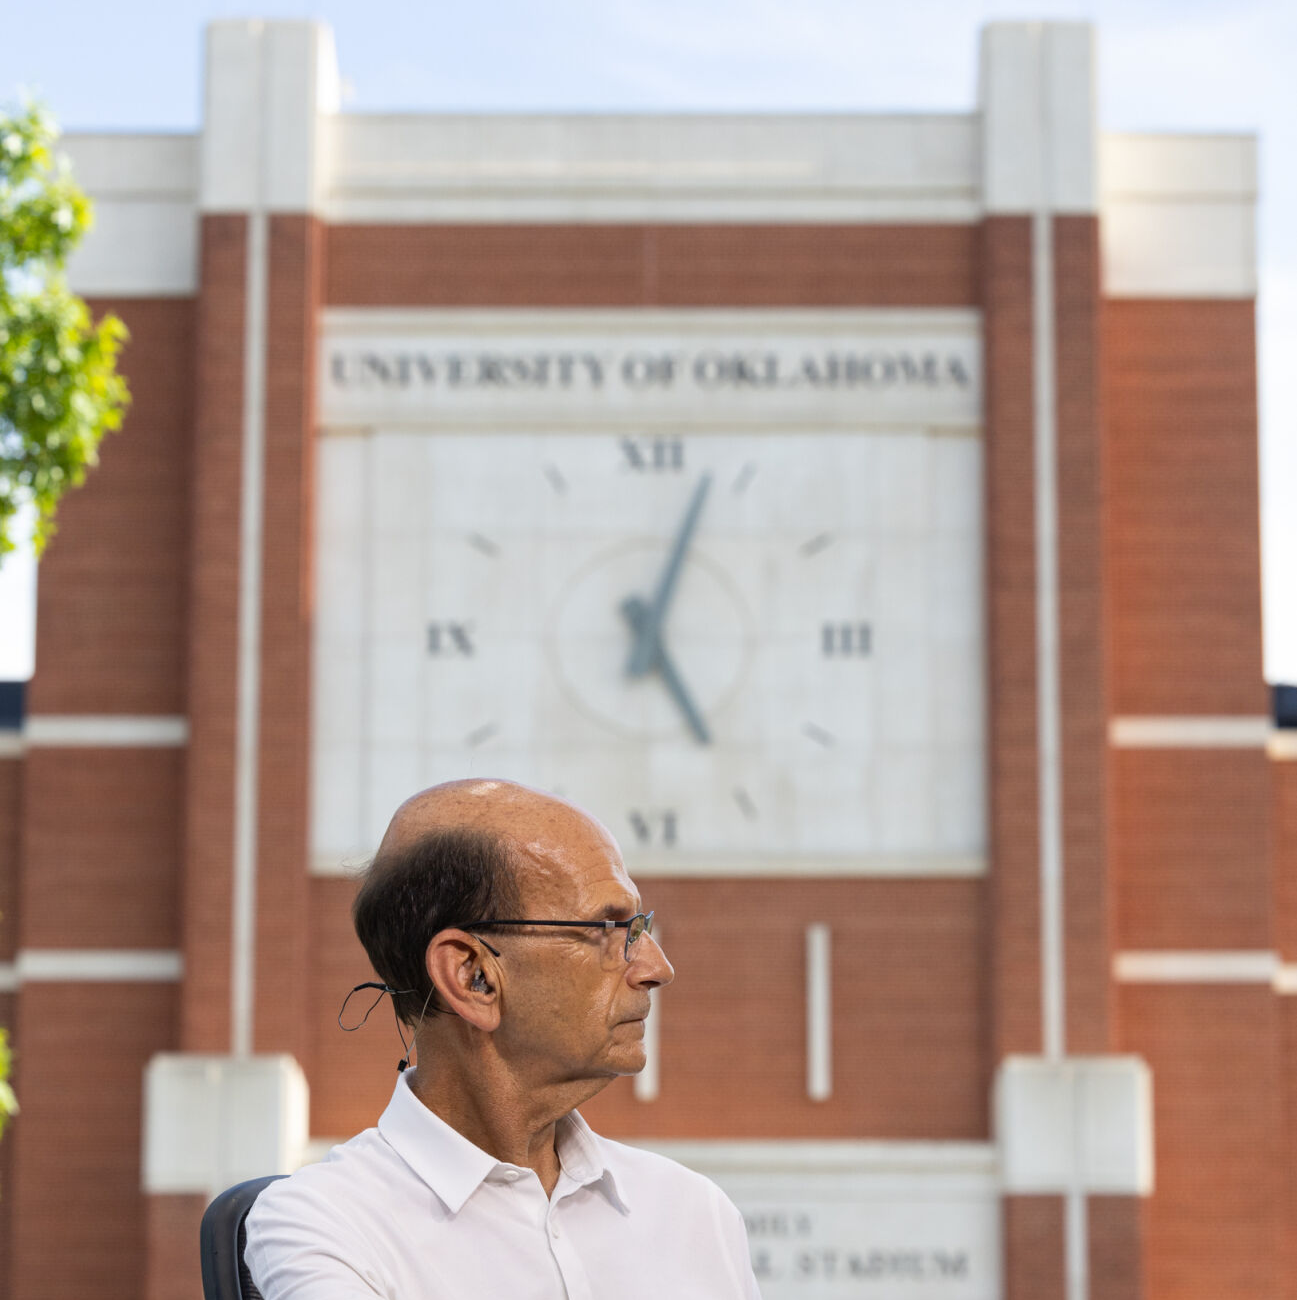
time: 5:03
